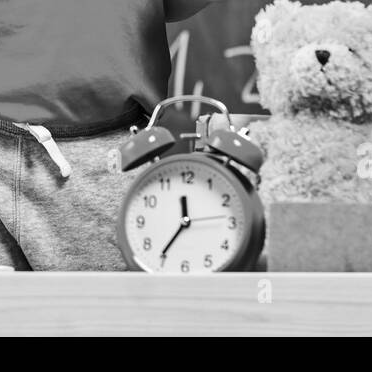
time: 11:35
